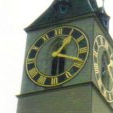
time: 1:18
